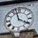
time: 3:57
